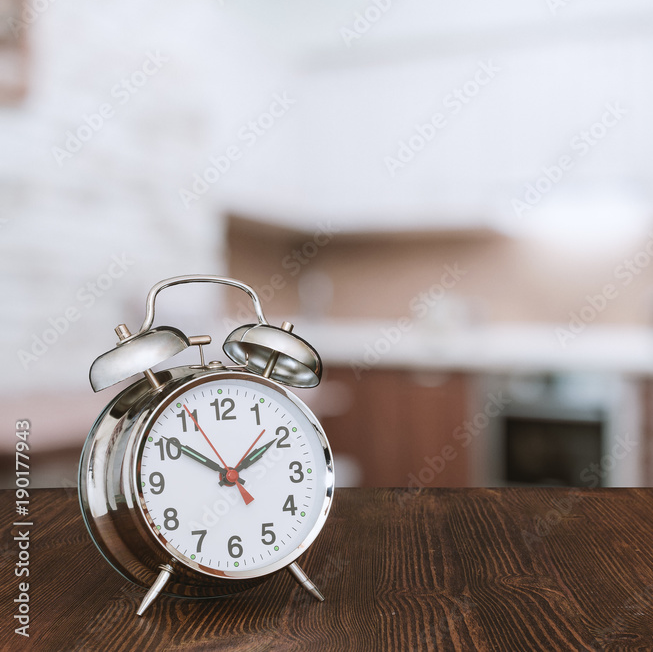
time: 1:50
